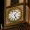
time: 5:06
